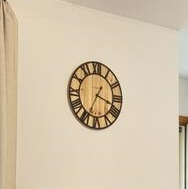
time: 3:34
